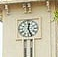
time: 12:26
